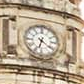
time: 6:21
